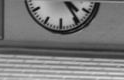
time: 4:24
